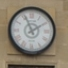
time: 1:56
